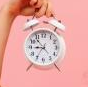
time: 8:53
